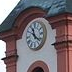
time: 11:21
